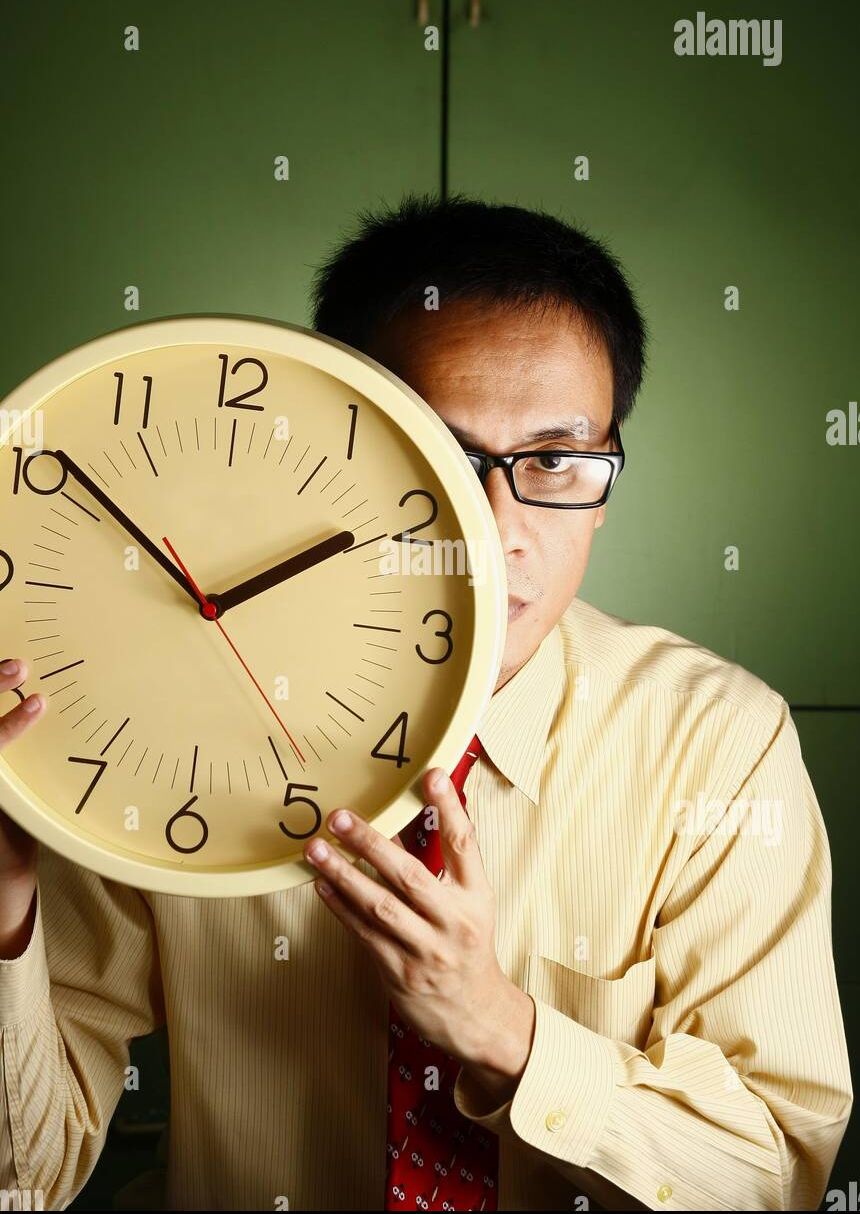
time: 1:50
